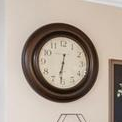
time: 6:31
